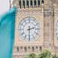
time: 2:30
